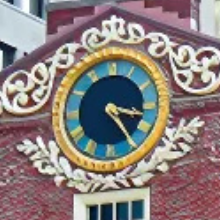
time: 3:24
